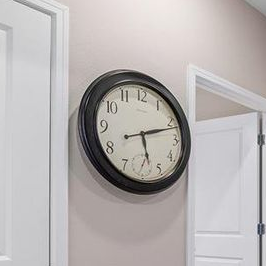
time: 5:11
